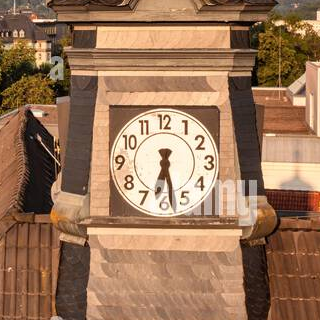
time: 6:28
